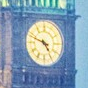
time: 4:48
